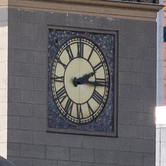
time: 2:15
